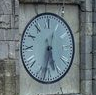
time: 5:32
